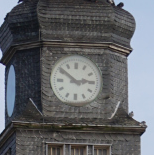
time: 2:50
